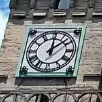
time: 12:07
